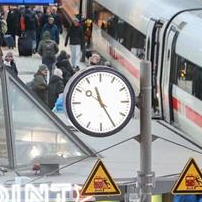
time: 11:24
